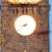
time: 8:38
